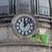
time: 12:07
